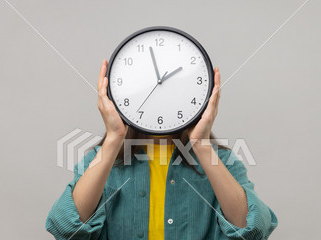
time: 1:57
